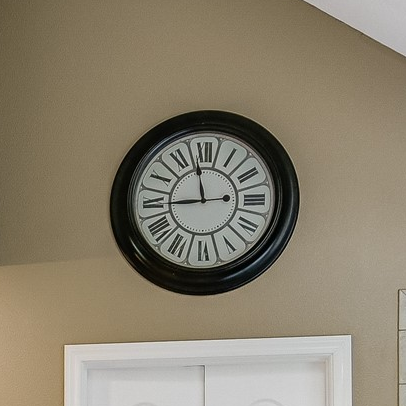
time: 8:57
